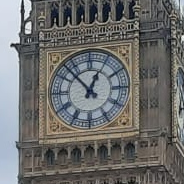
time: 12:53
